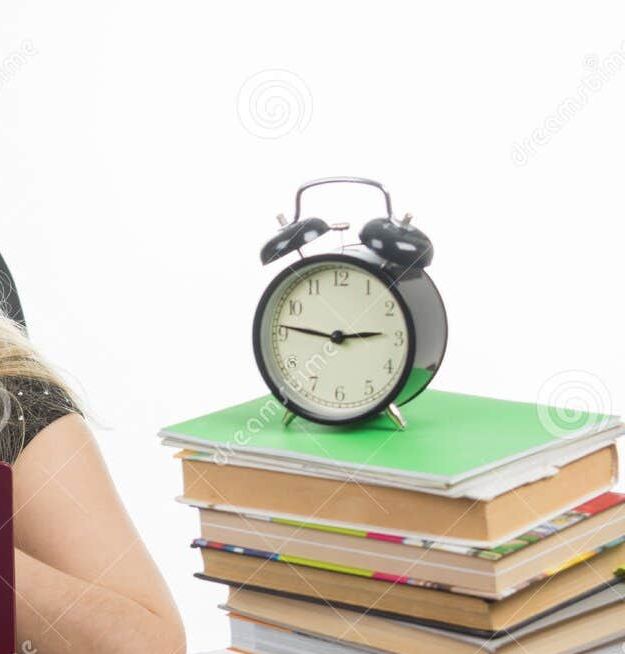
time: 2:46
